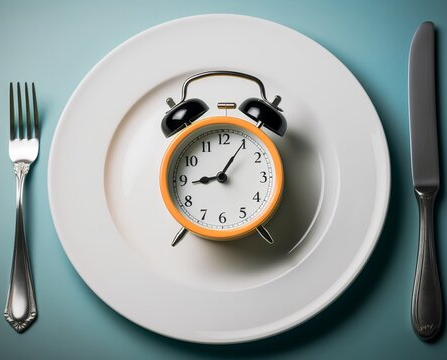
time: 9:05
